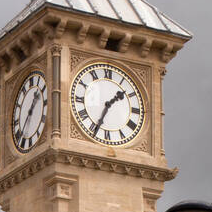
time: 1:34
